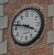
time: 3:47
